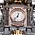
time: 12:36
